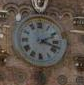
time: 2:18
